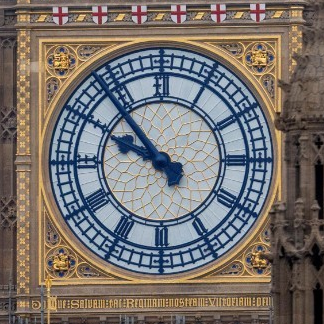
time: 9:53
